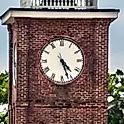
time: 4:26
